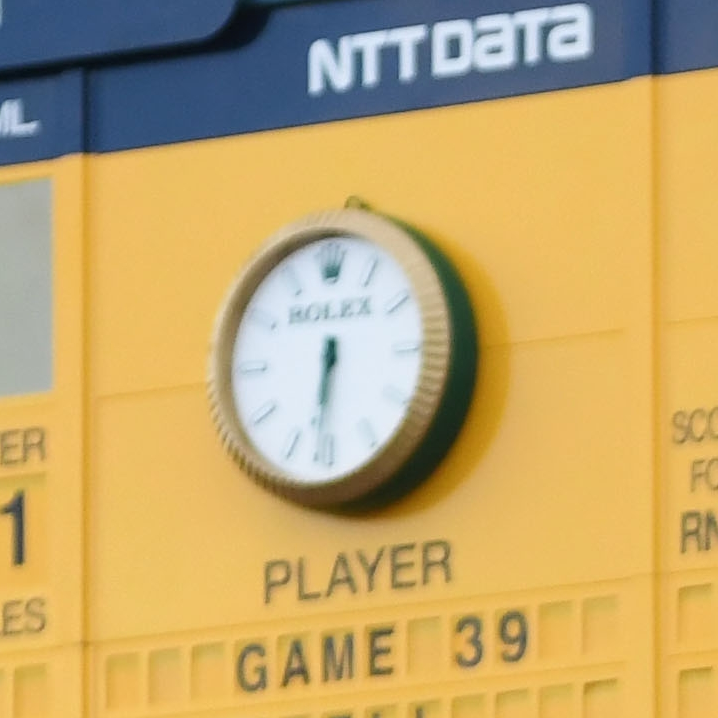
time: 6:31
